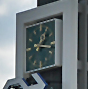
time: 1:16
